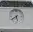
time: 5:38
